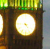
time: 4:46
